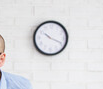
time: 10:18
